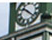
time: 10:22
